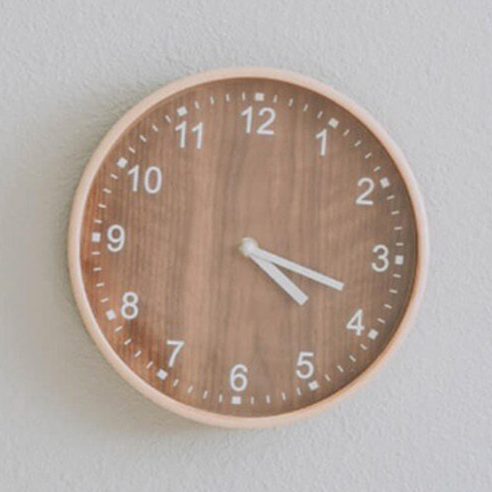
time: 4:18
